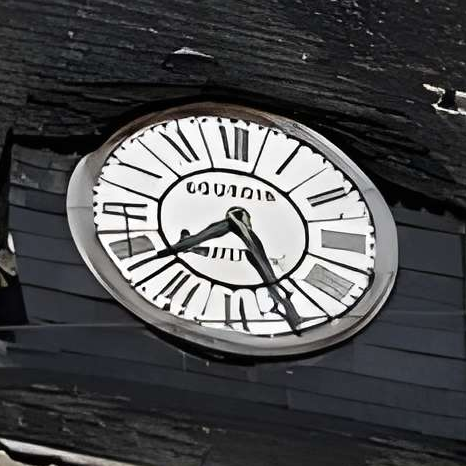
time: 7:25
